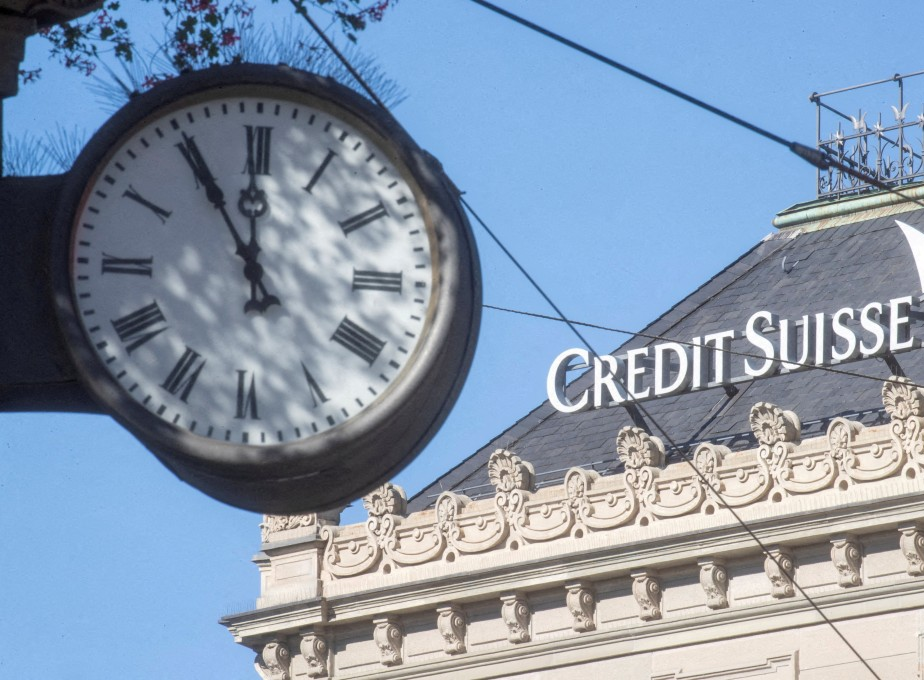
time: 11:55
